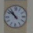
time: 10:52
